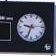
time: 9:33
